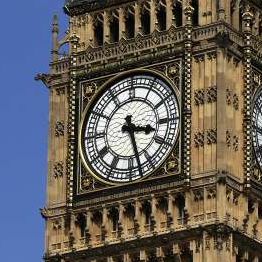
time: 3:27
